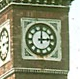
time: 3:00
